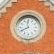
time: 11:40
